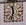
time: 11:32
